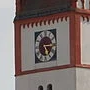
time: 5:15
